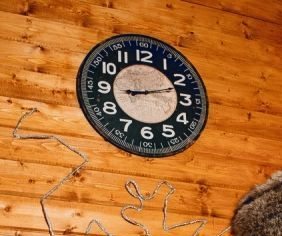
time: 9:12
